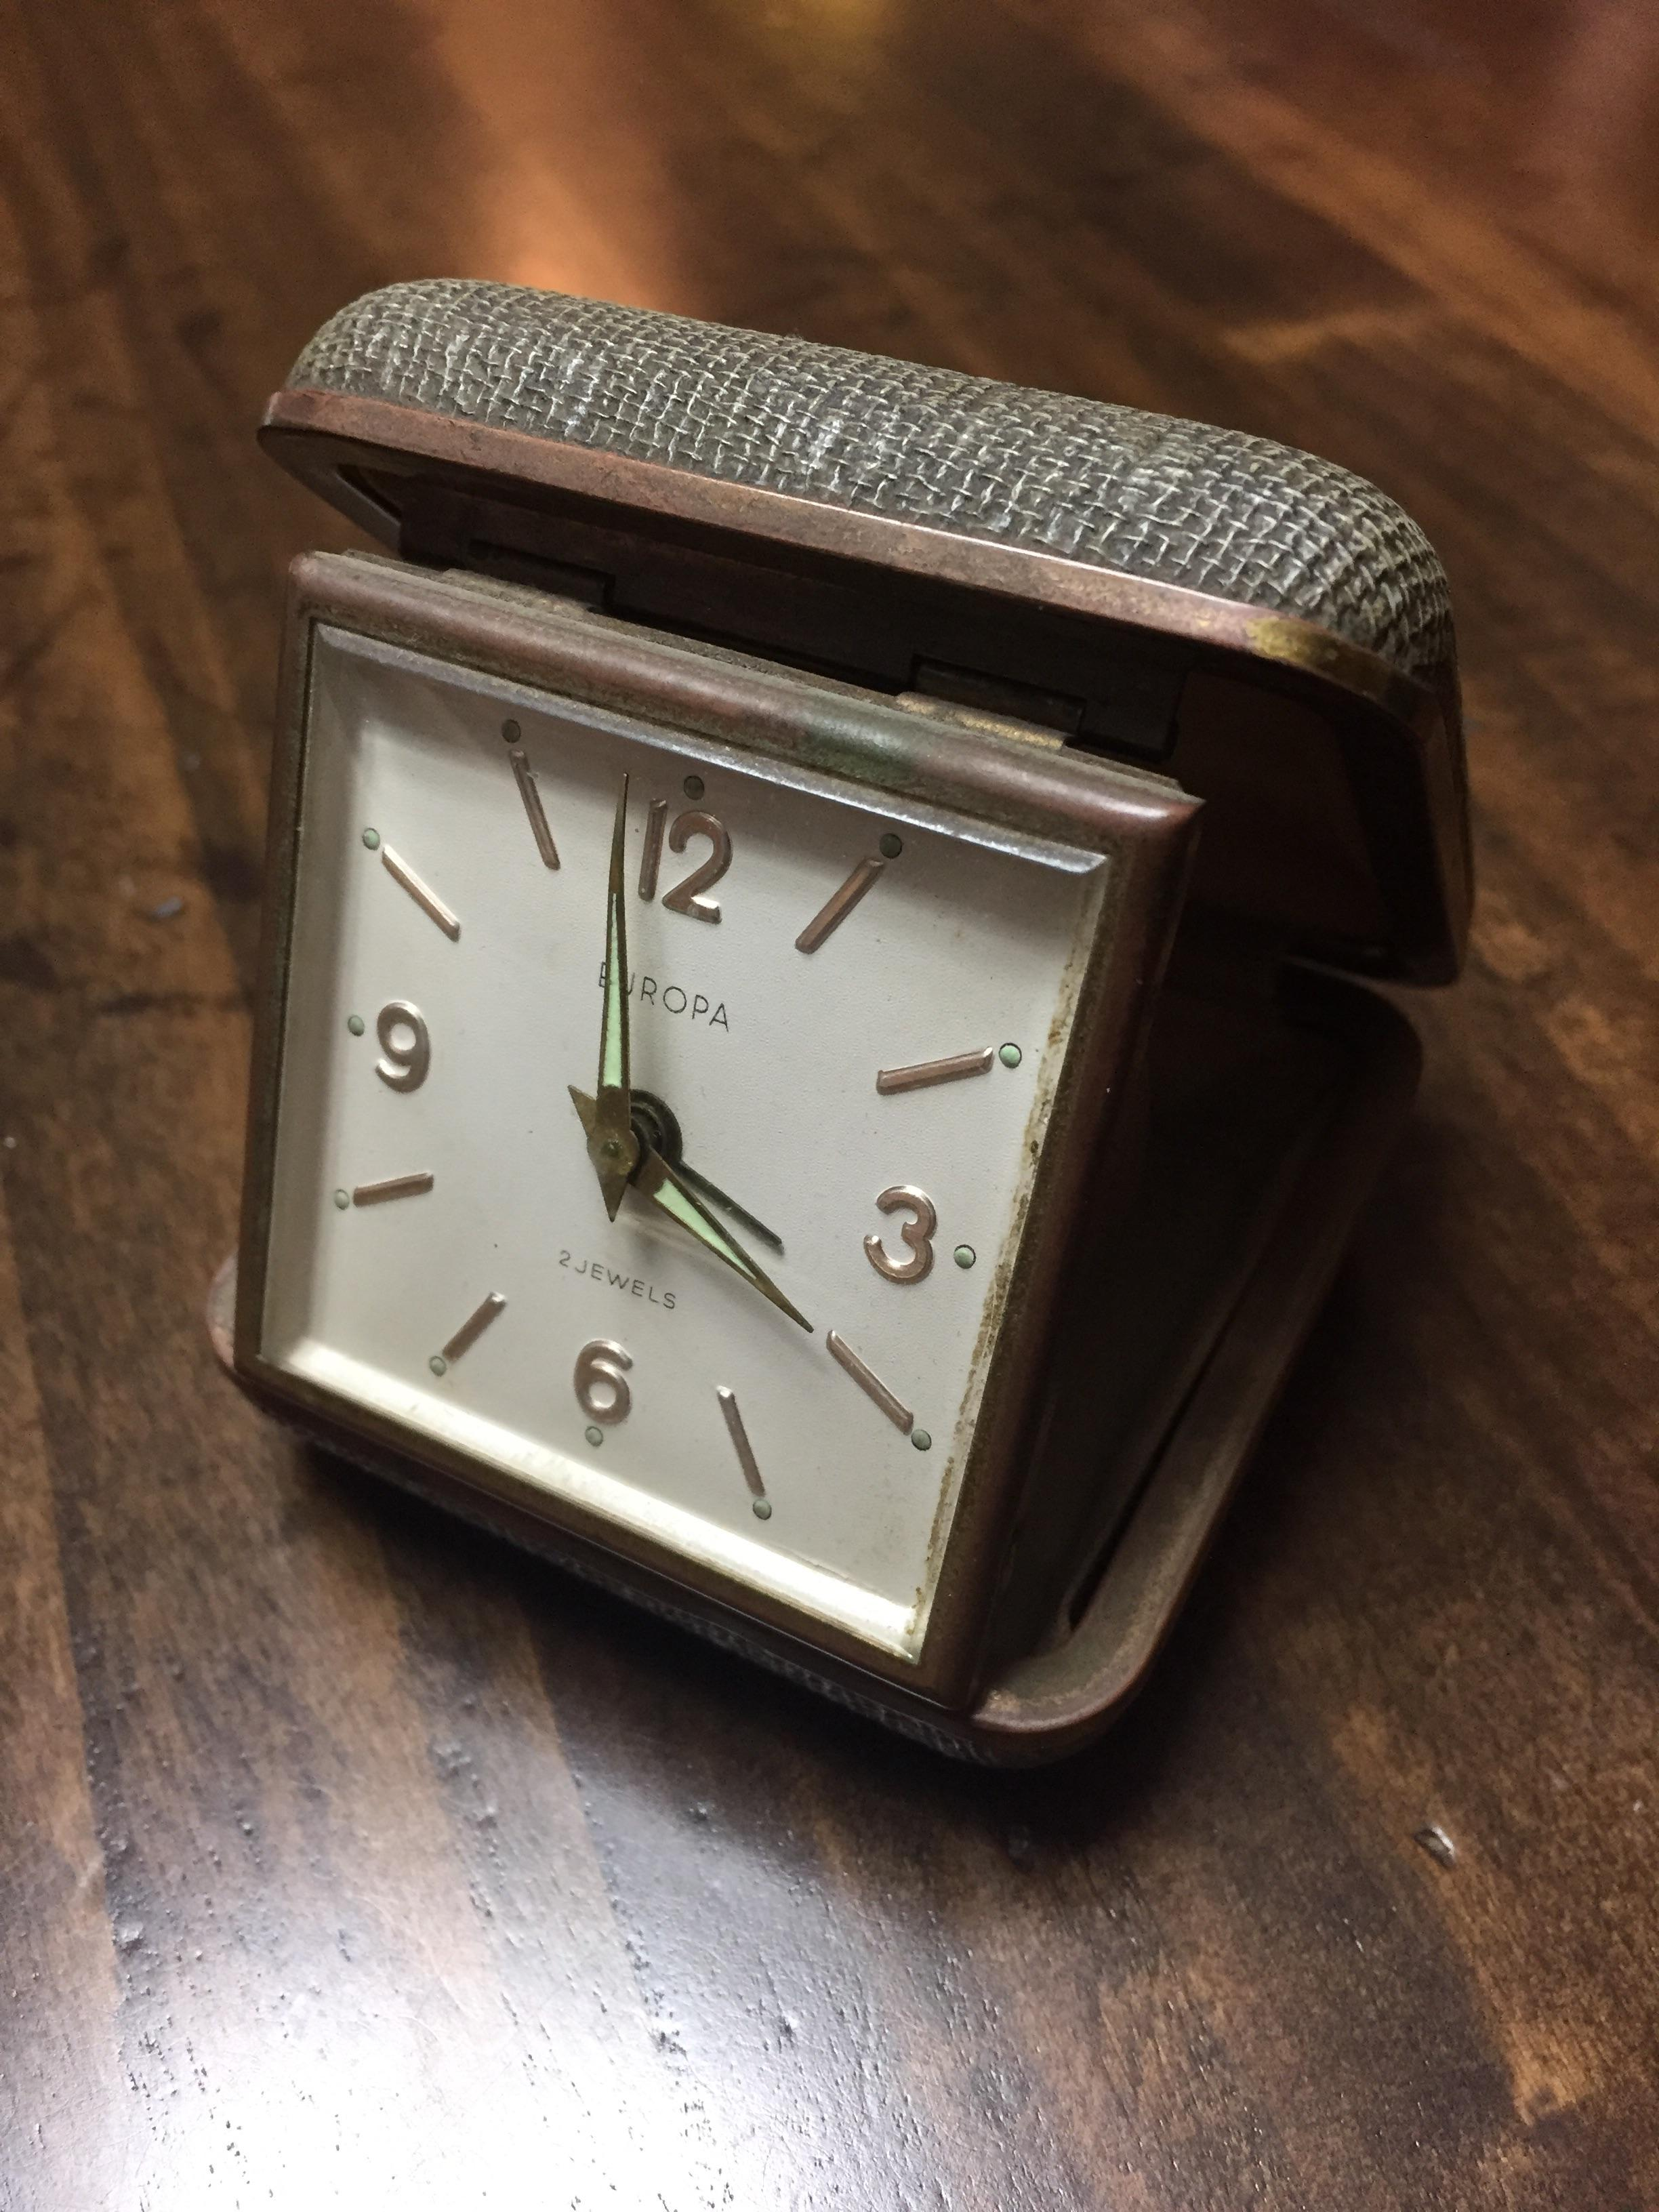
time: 3:58
